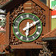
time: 6:10
